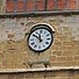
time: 11:51
